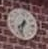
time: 7:32
